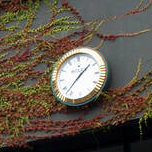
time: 1:37
